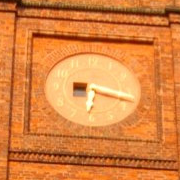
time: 6:17
